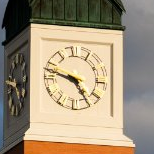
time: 4:48
